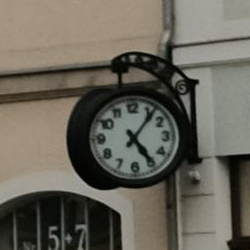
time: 5:06
